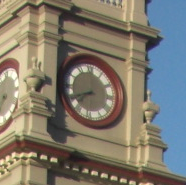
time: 7:41
